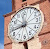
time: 8:43
